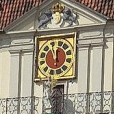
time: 11:55
